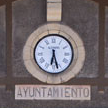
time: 6:27
